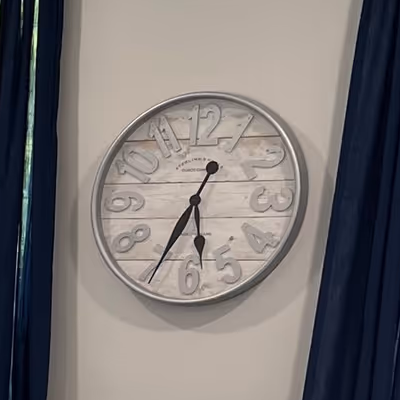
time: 5:34
